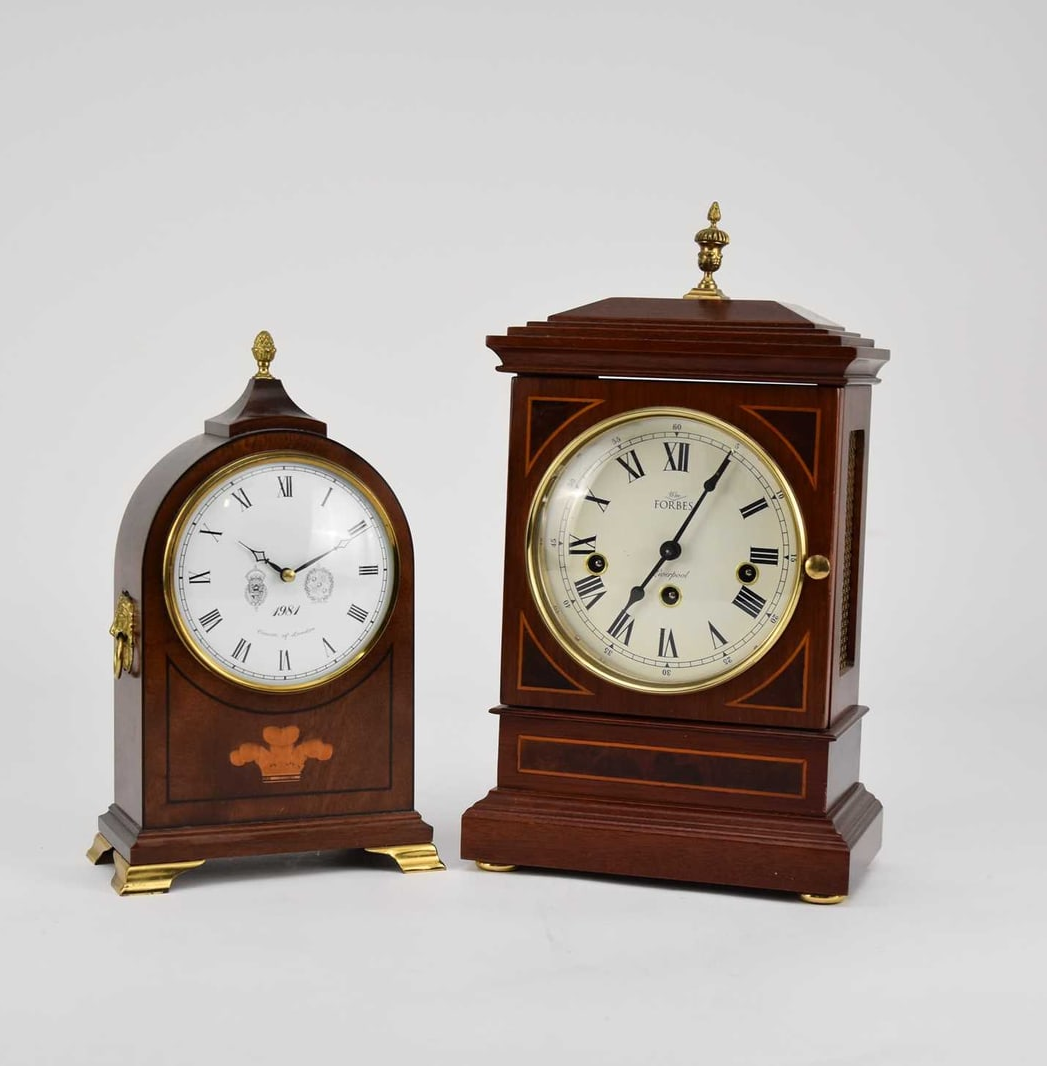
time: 7:05
